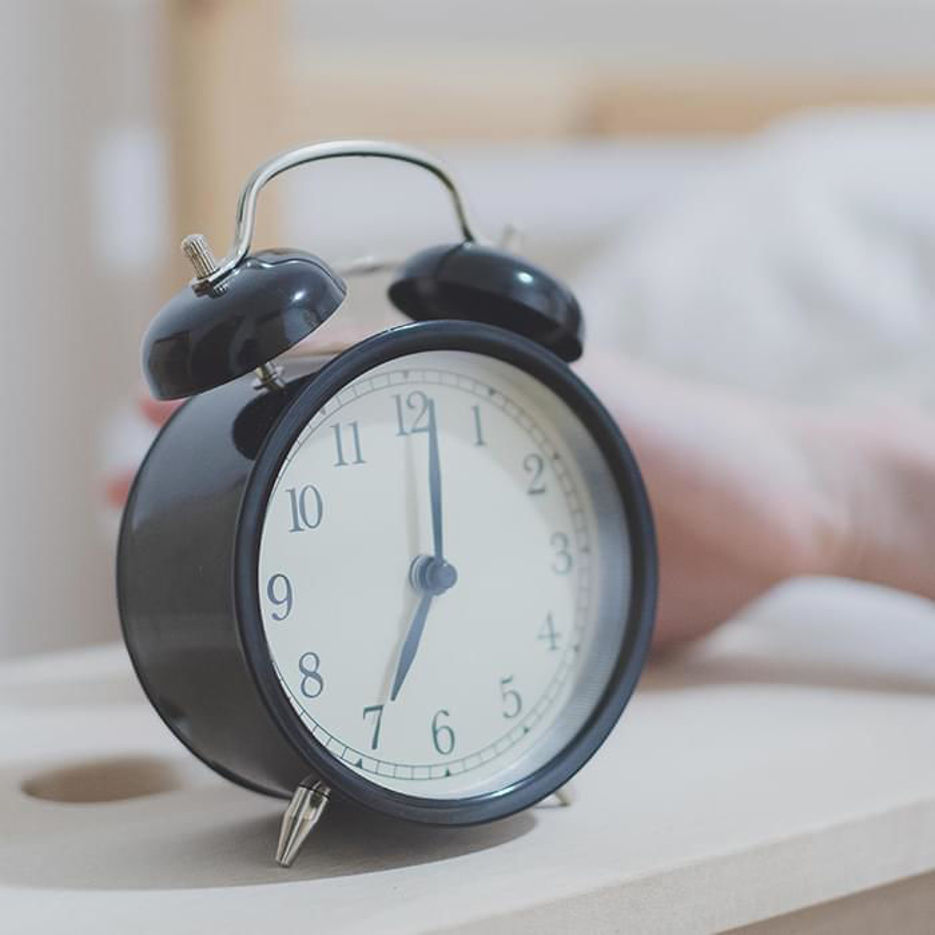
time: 7:01
